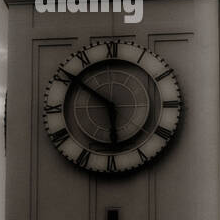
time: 5:51
